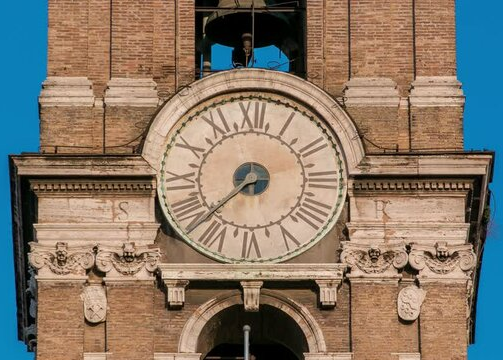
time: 7:37
